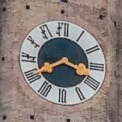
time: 3:40
